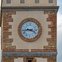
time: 3:43
